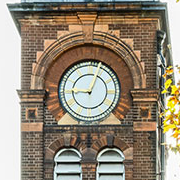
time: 9:04
